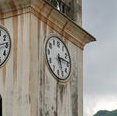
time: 5:14
